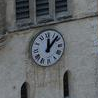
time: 12:07
